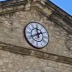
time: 11:40
